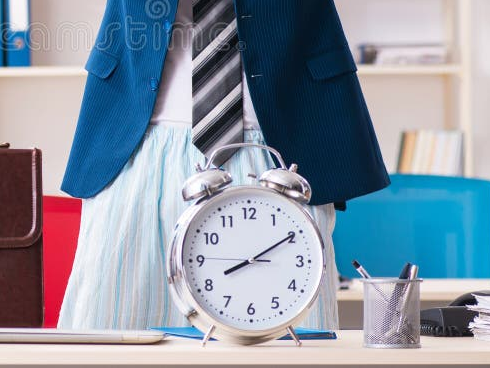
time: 8:09
